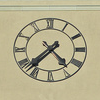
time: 4:37
